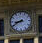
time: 8:40
